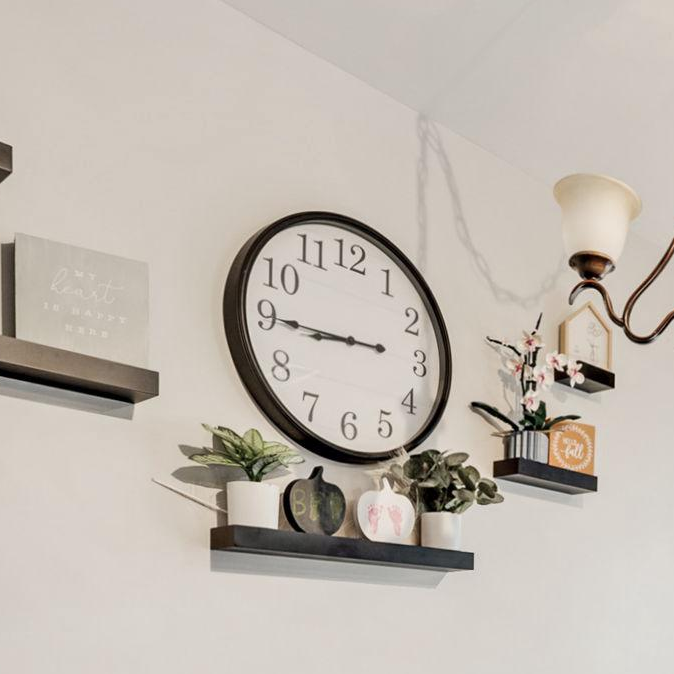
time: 8:44
